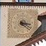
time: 3:21
